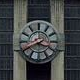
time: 3:40
